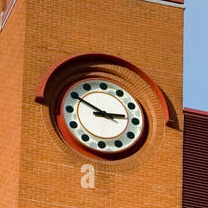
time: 2:49
